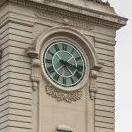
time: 3:17
